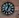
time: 1:02
